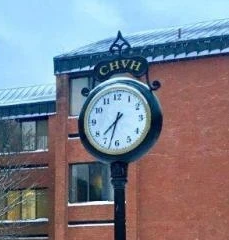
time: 7:32
